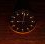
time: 9:01
